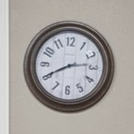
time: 2:40
